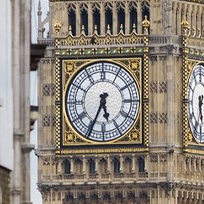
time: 5:34
